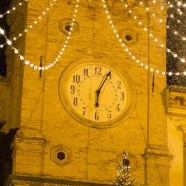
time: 6:04
